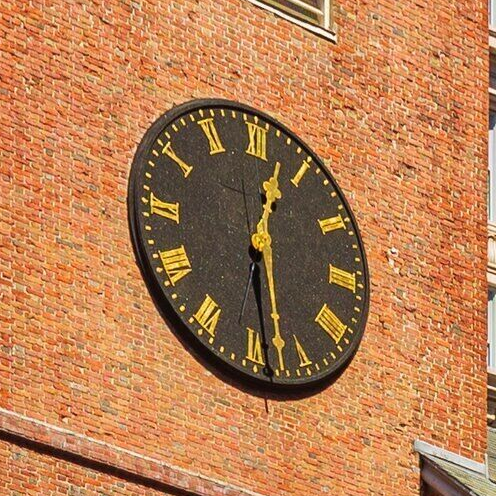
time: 12:28
